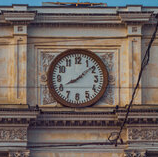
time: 8:08
